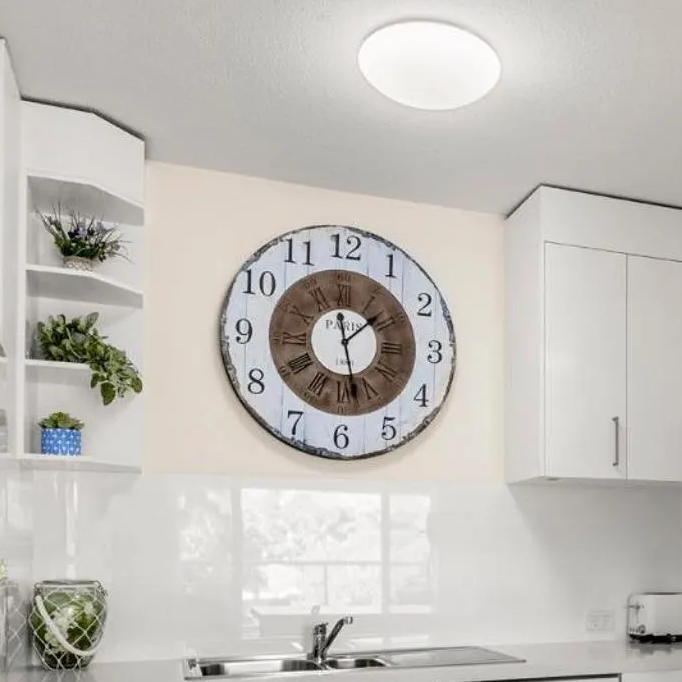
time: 1:28
